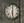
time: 6:01
